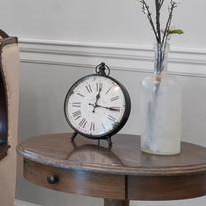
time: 12:15
